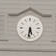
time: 5:31
